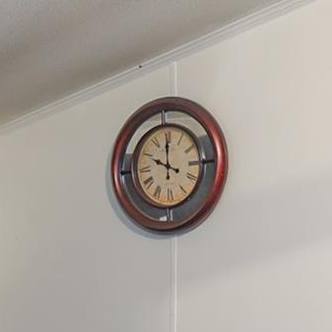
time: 10:00
